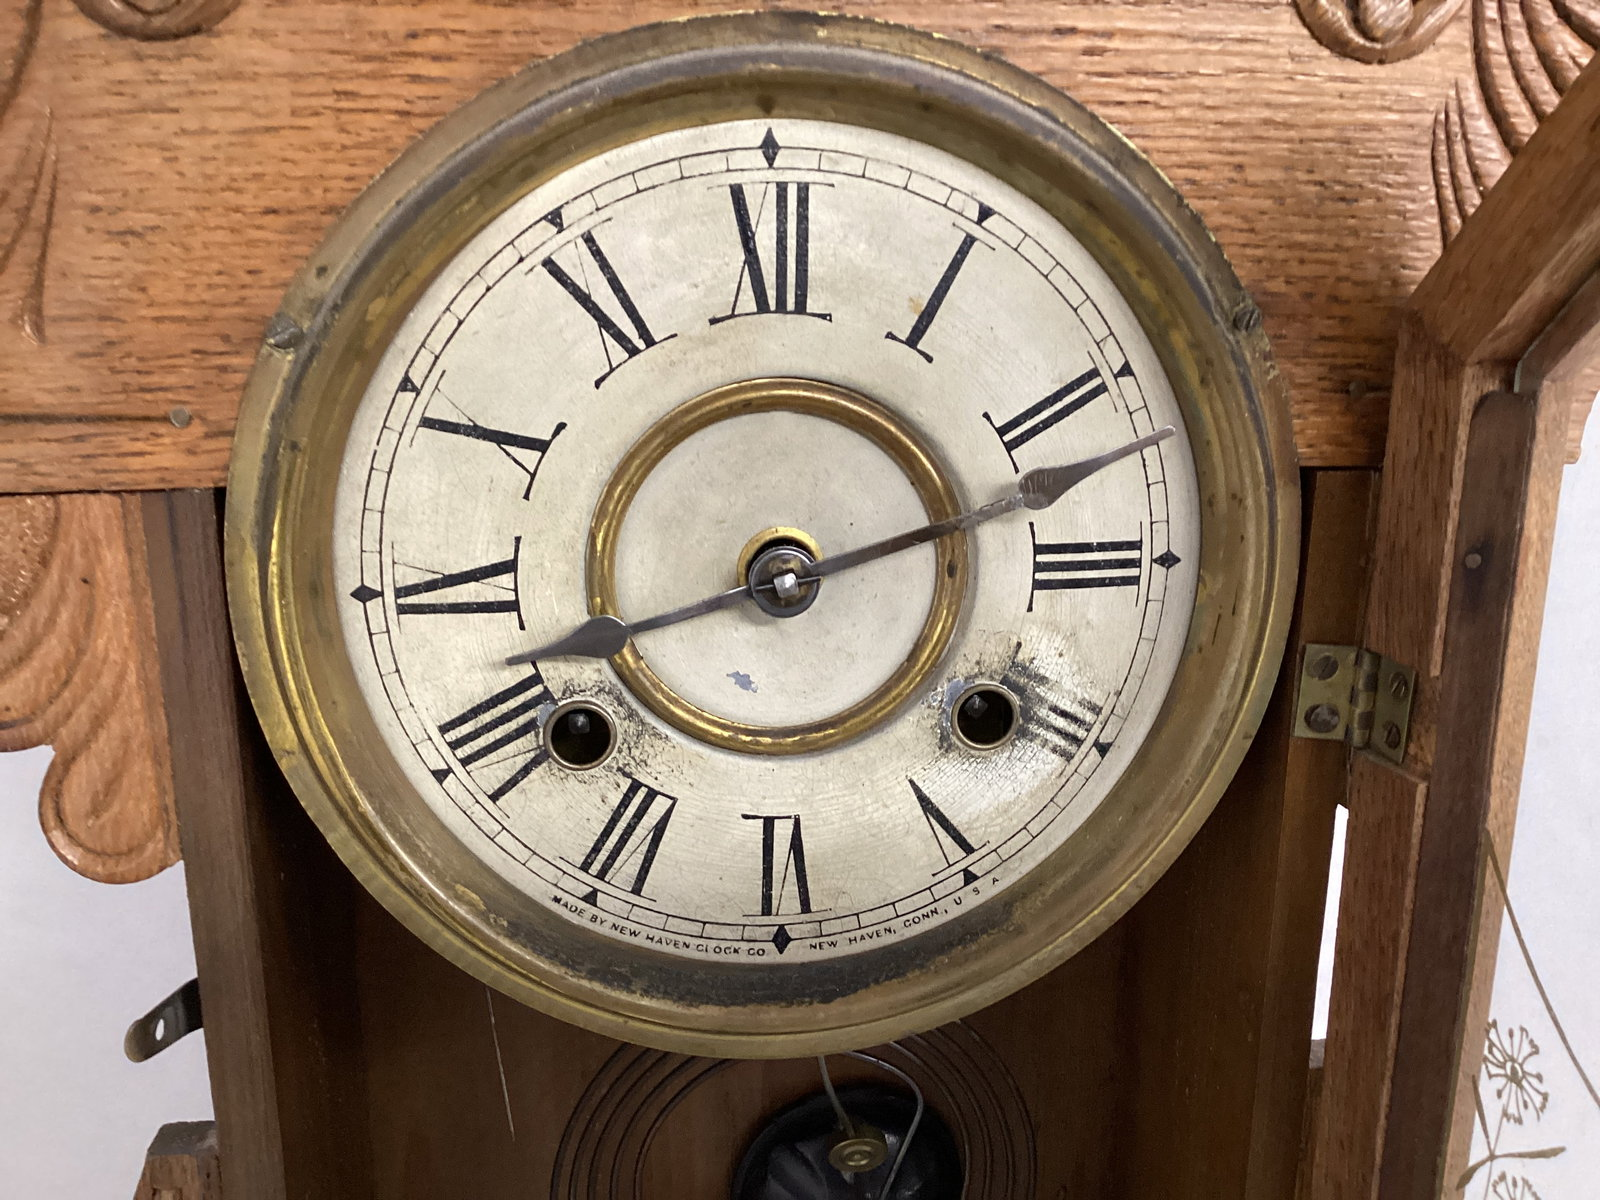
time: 8:12
